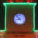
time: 8:53
